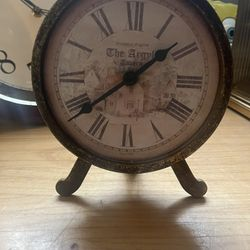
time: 1:38
